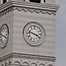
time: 3:47
